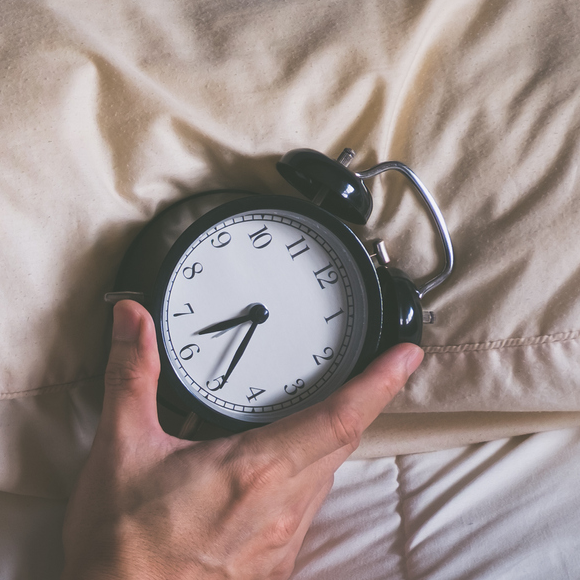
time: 8:34
